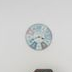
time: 3:40
